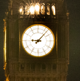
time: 9:07
